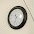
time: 10:34
